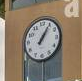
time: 1:05
